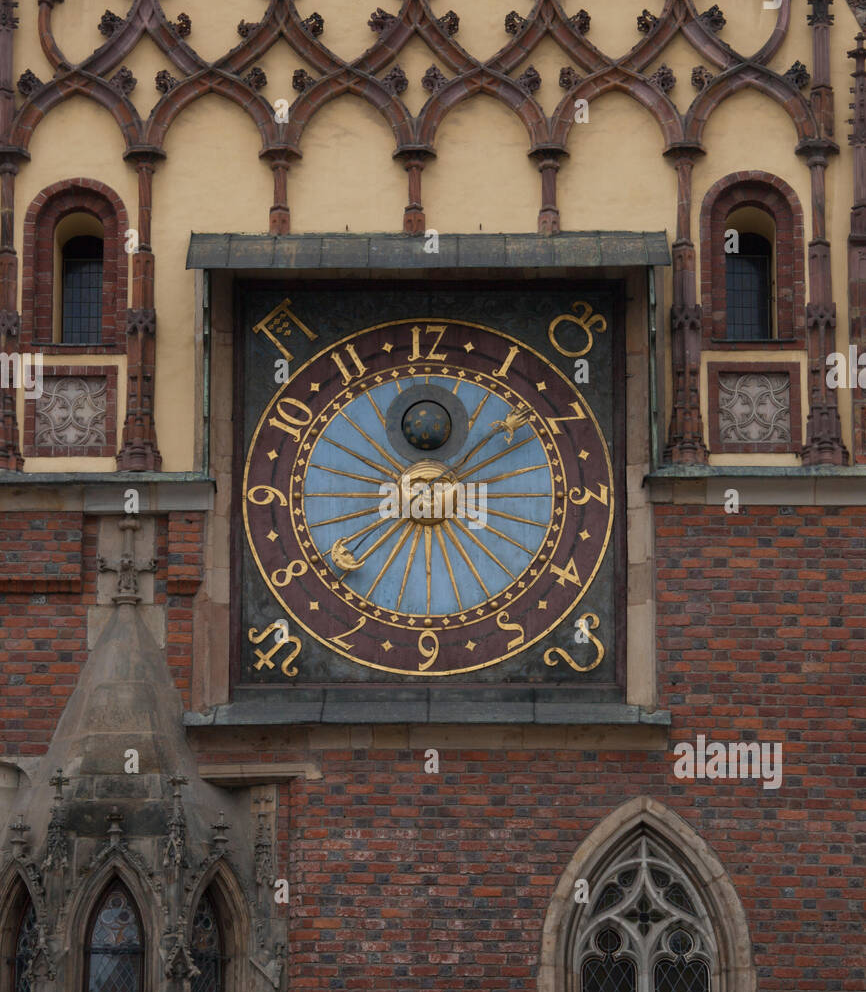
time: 1:37
